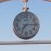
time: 7:15
